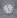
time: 4:57
